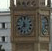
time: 11:37
